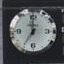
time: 7:00
